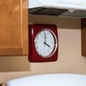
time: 4:00
